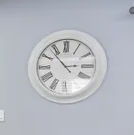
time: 2:53
